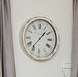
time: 1:36
